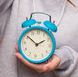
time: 1:50
